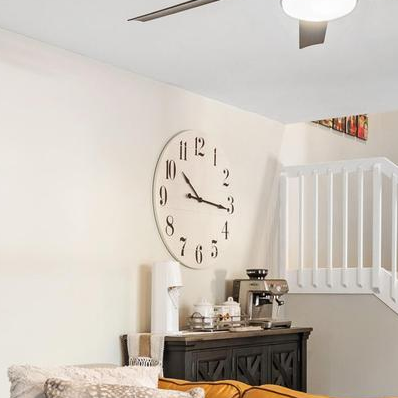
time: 10:16
